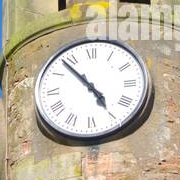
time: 4:53
